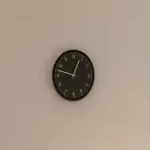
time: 12:47
